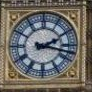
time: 2:17
